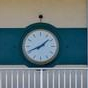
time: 1:41
